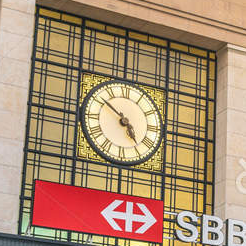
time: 4:51
